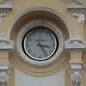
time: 3:24
